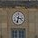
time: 3:32
